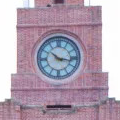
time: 10:16
